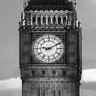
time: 9:10
